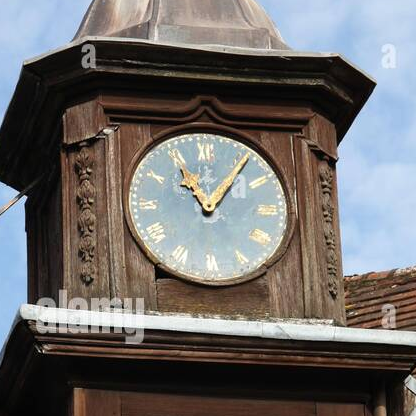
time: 11:06
